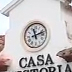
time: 11:12
